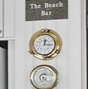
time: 12:15
